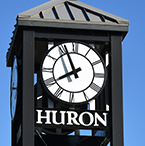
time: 7:56
